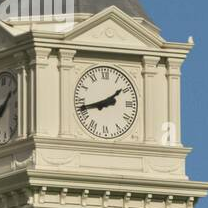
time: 1:42
